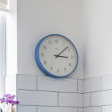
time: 3:08
